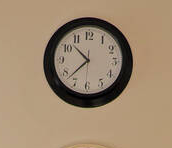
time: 10:37
